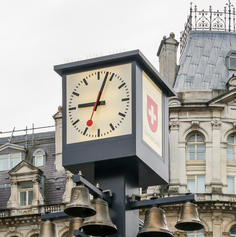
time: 9:03
